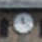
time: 11:22
